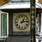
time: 1:13
